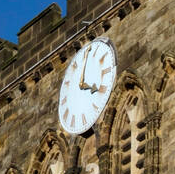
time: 4:02
